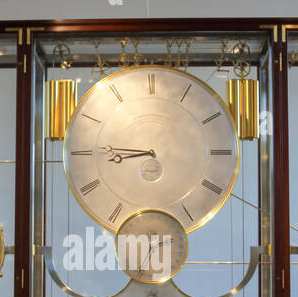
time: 8:45
